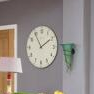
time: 1:54
